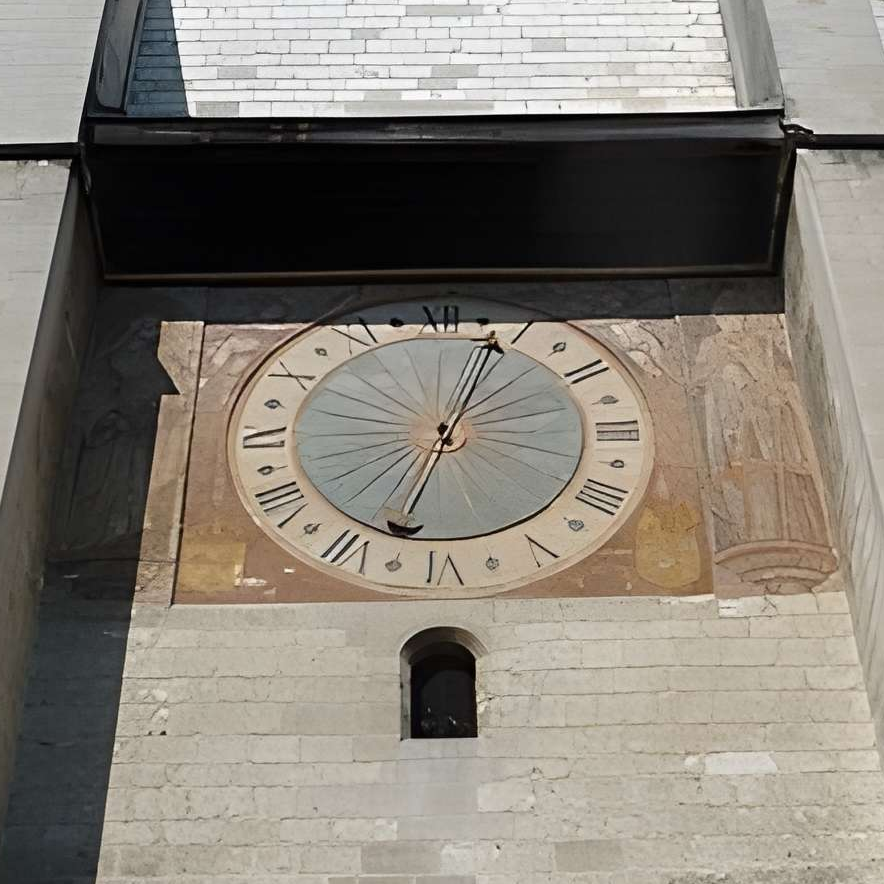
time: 12:32
